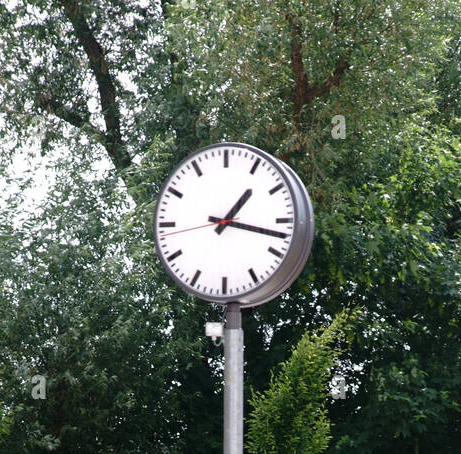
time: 1:17
